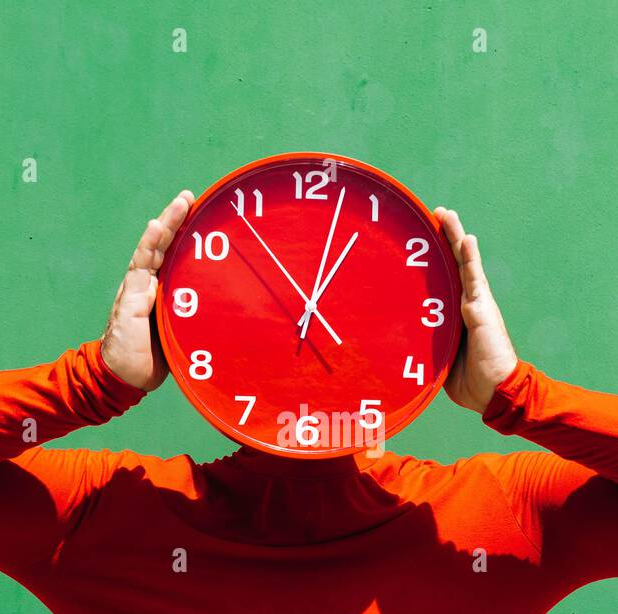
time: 1:02
